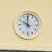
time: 9:59
